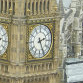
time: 2:25
